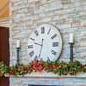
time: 9:32
